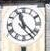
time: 11:22
